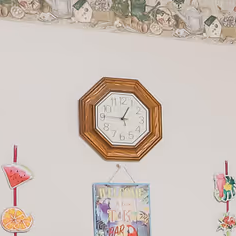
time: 12:45
